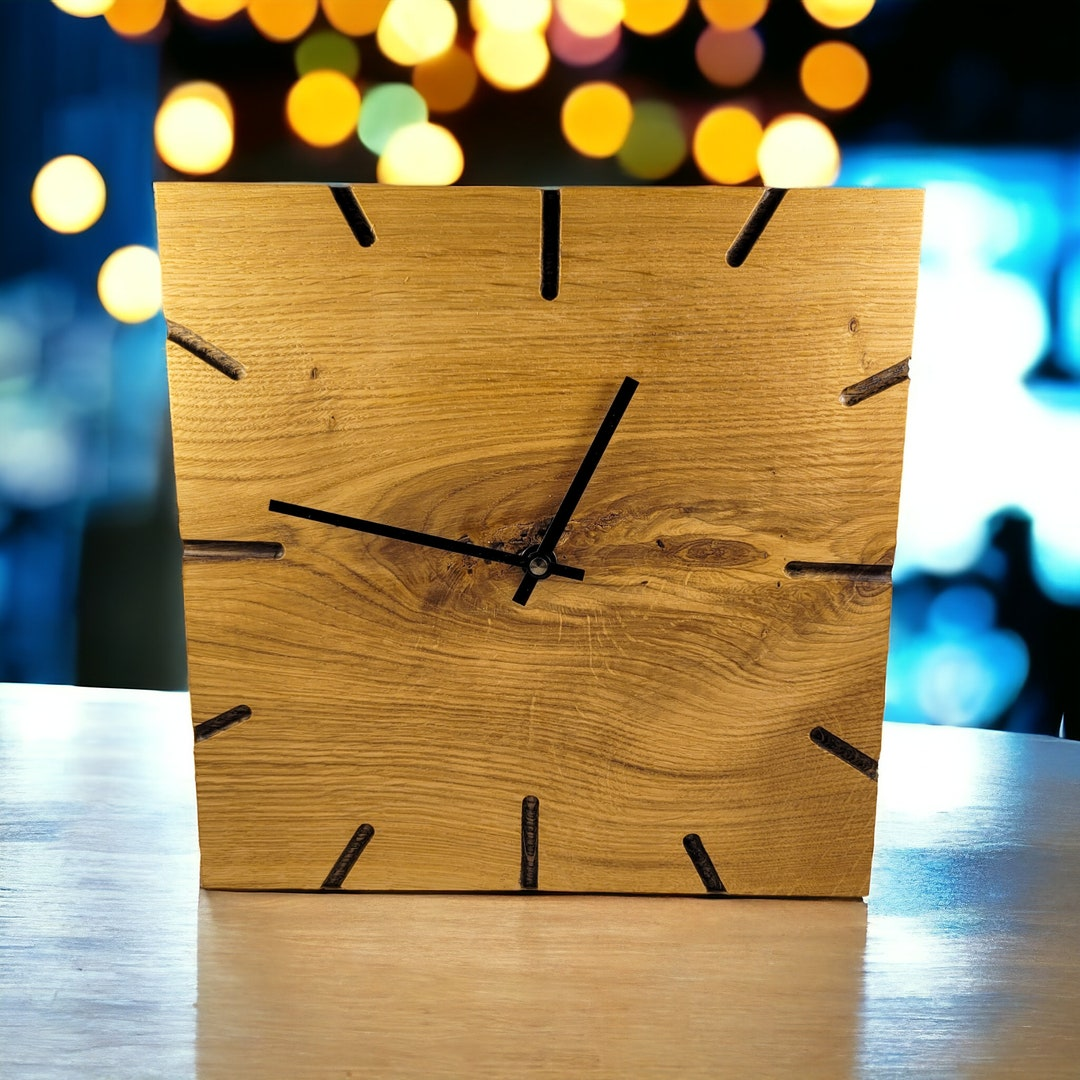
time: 12:47
